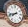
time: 7:42
